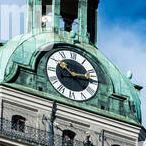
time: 10:14
